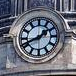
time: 1:41
